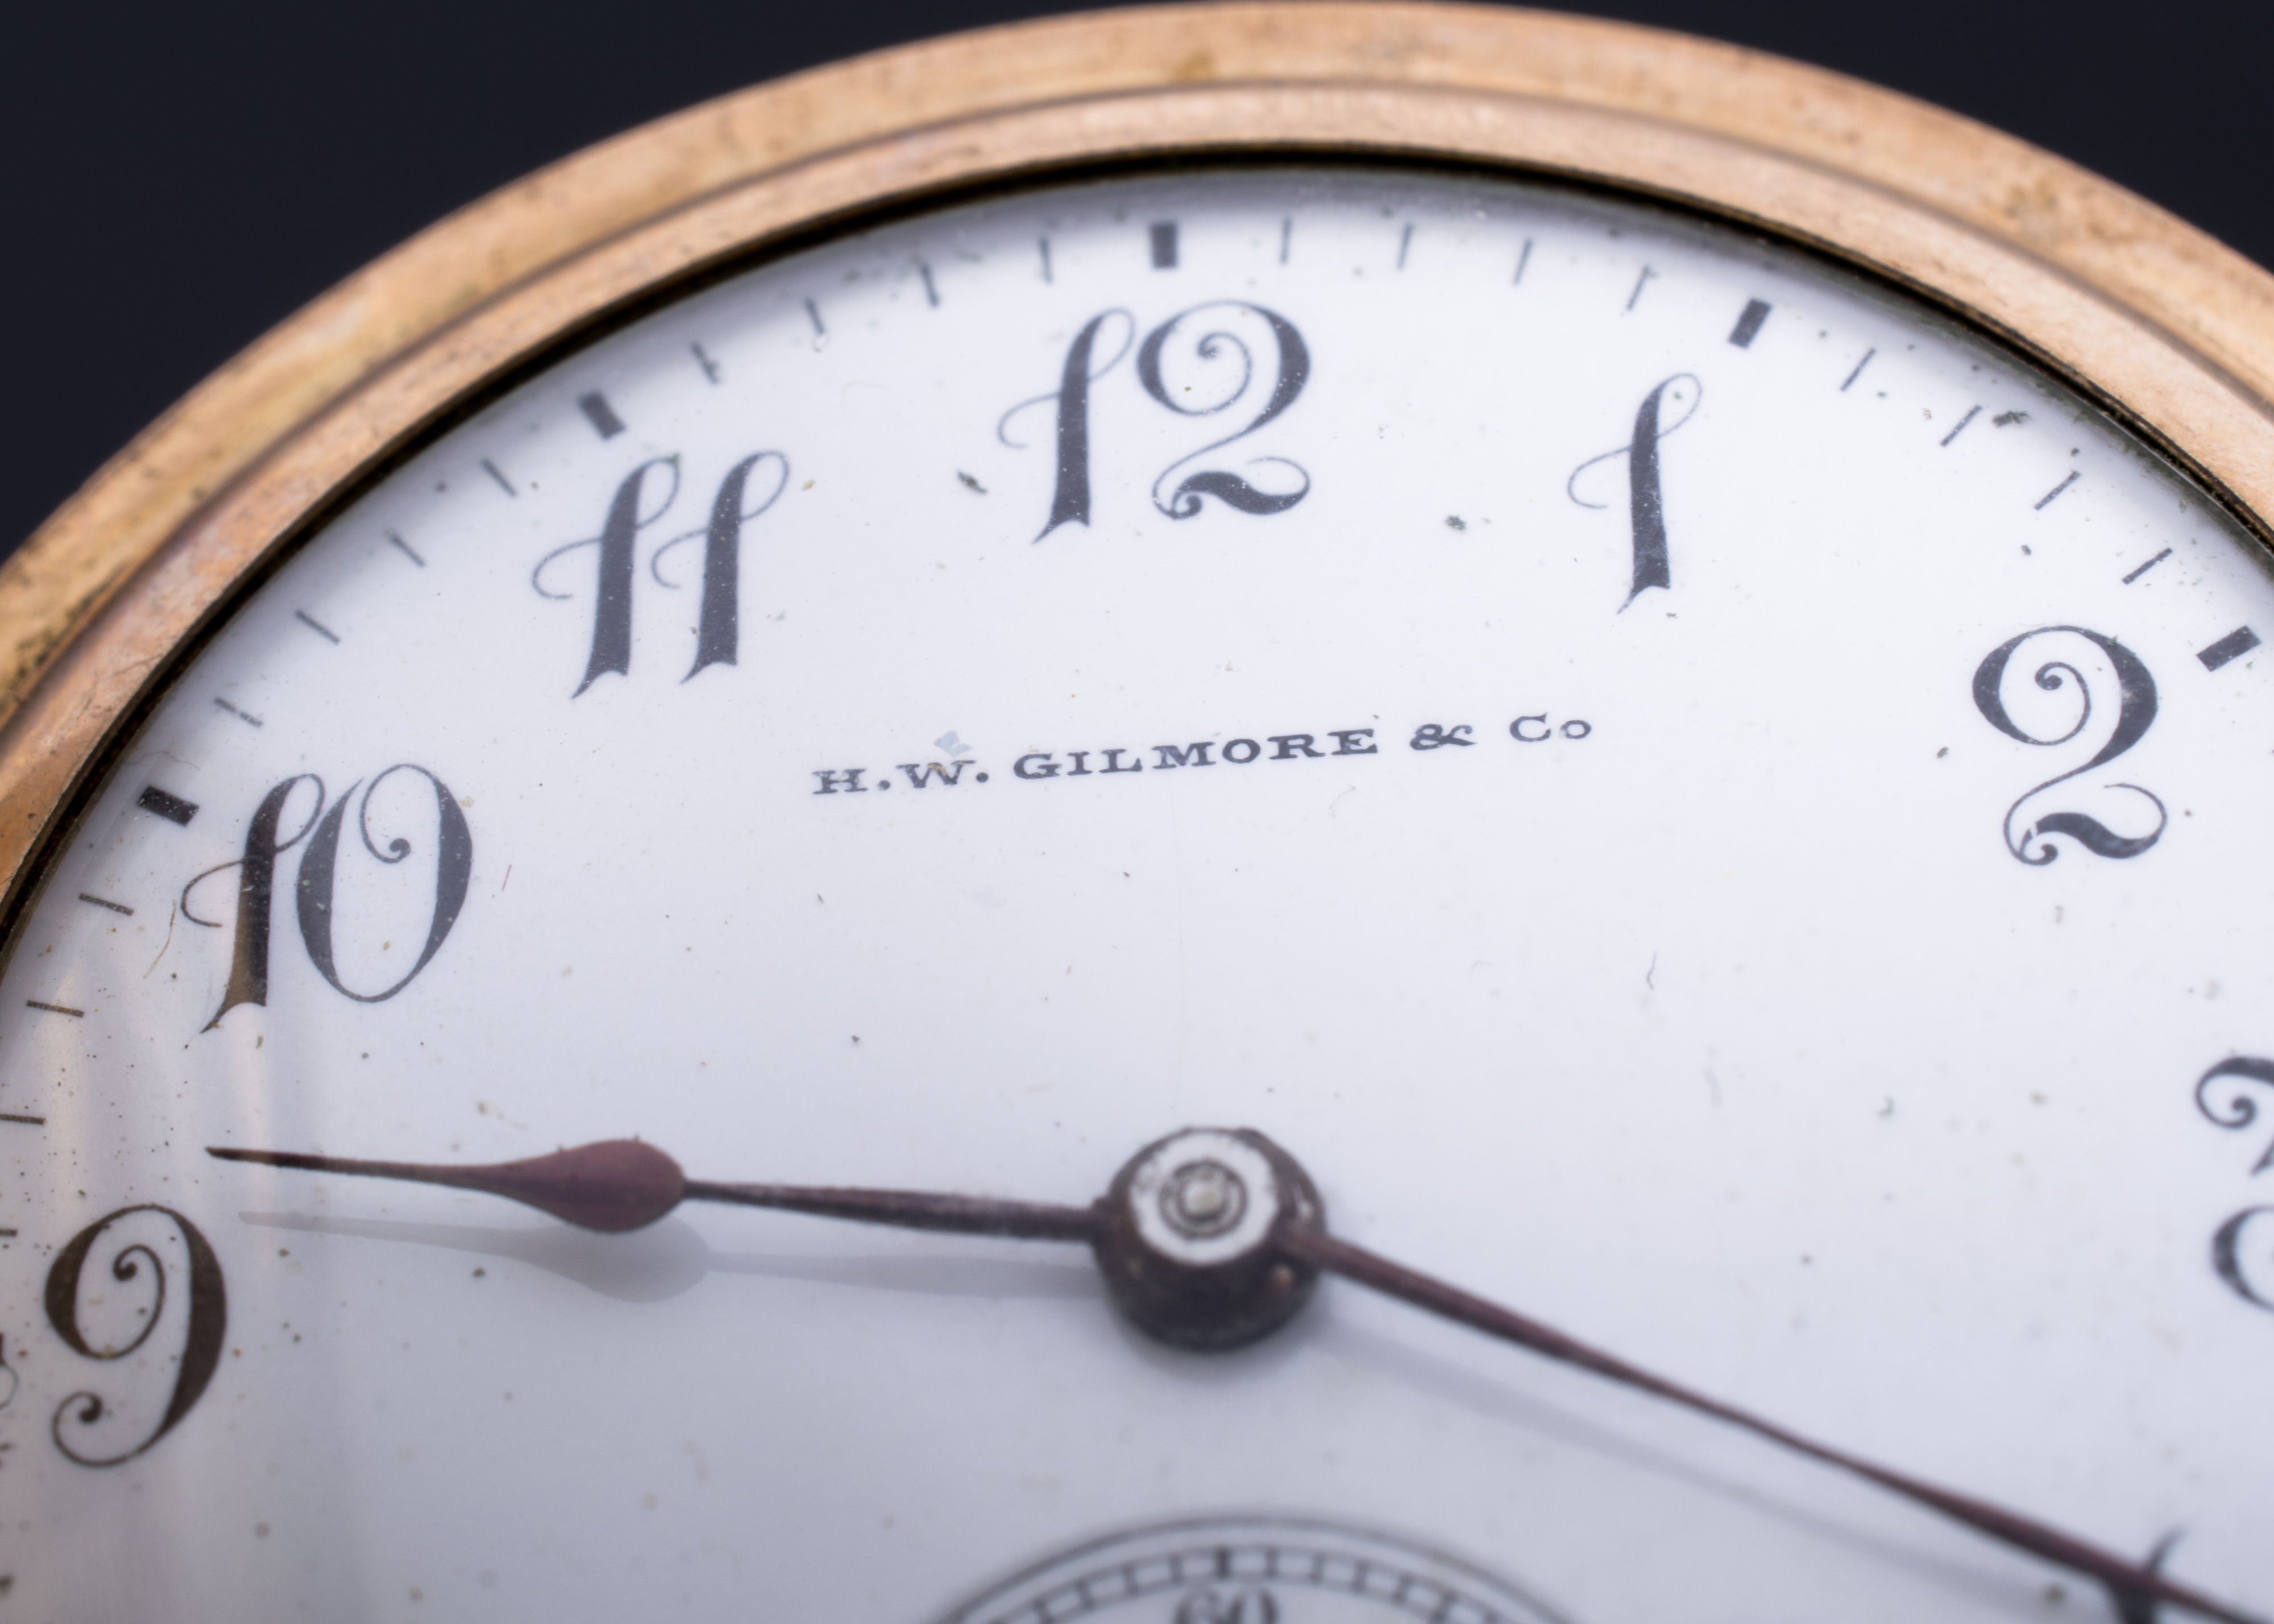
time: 9:20
